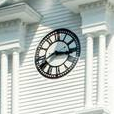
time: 8:16
